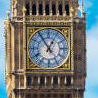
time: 12:55
